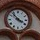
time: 3:52
